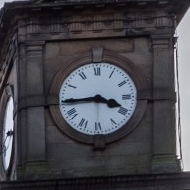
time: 3:44
